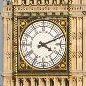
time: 4:11
